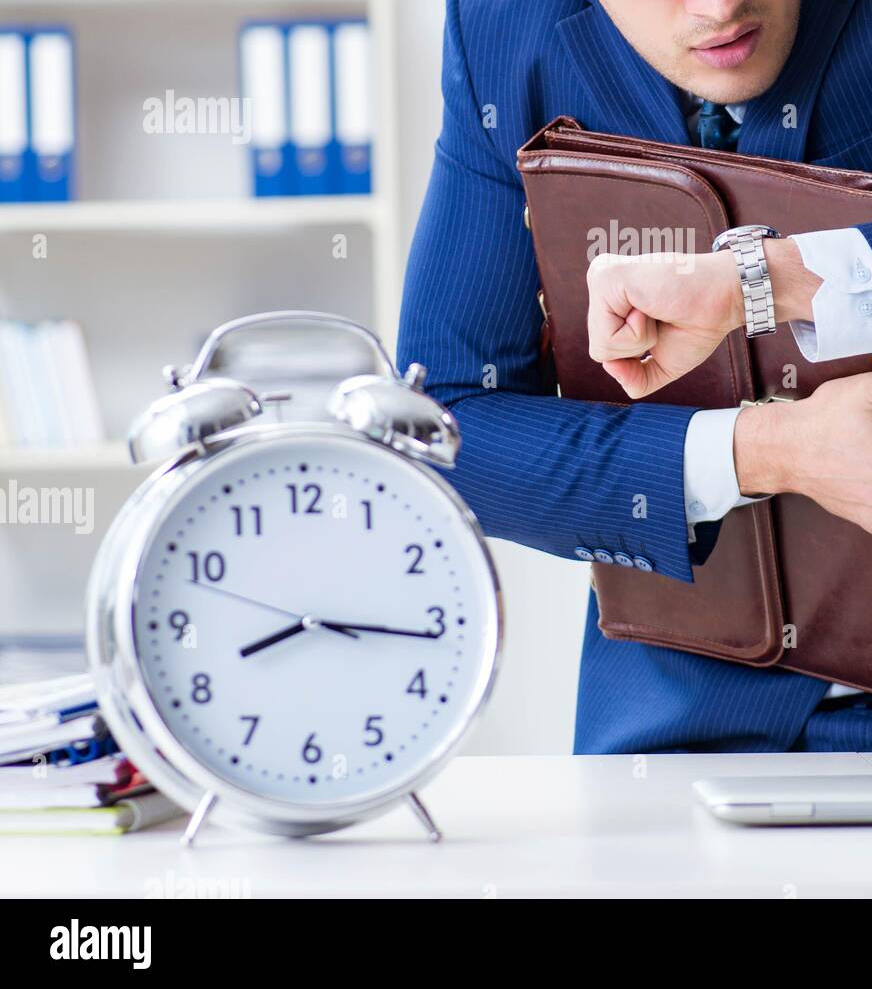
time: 8:15
